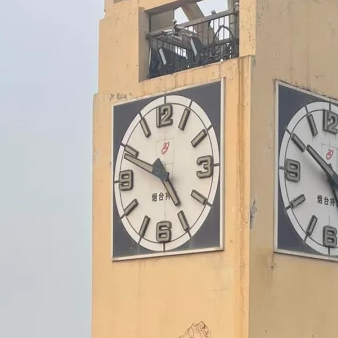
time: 4:48
